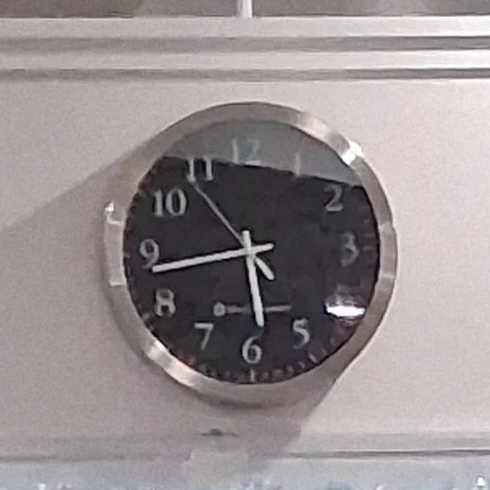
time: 5:43
